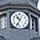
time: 10:34
